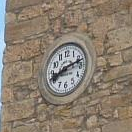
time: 8:12
